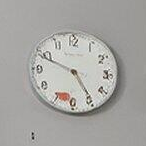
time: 4:48
